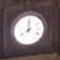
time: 7:59
